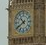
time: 10:39
